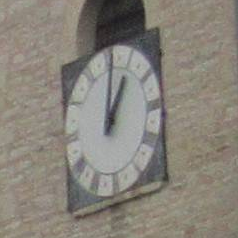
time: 1:01
